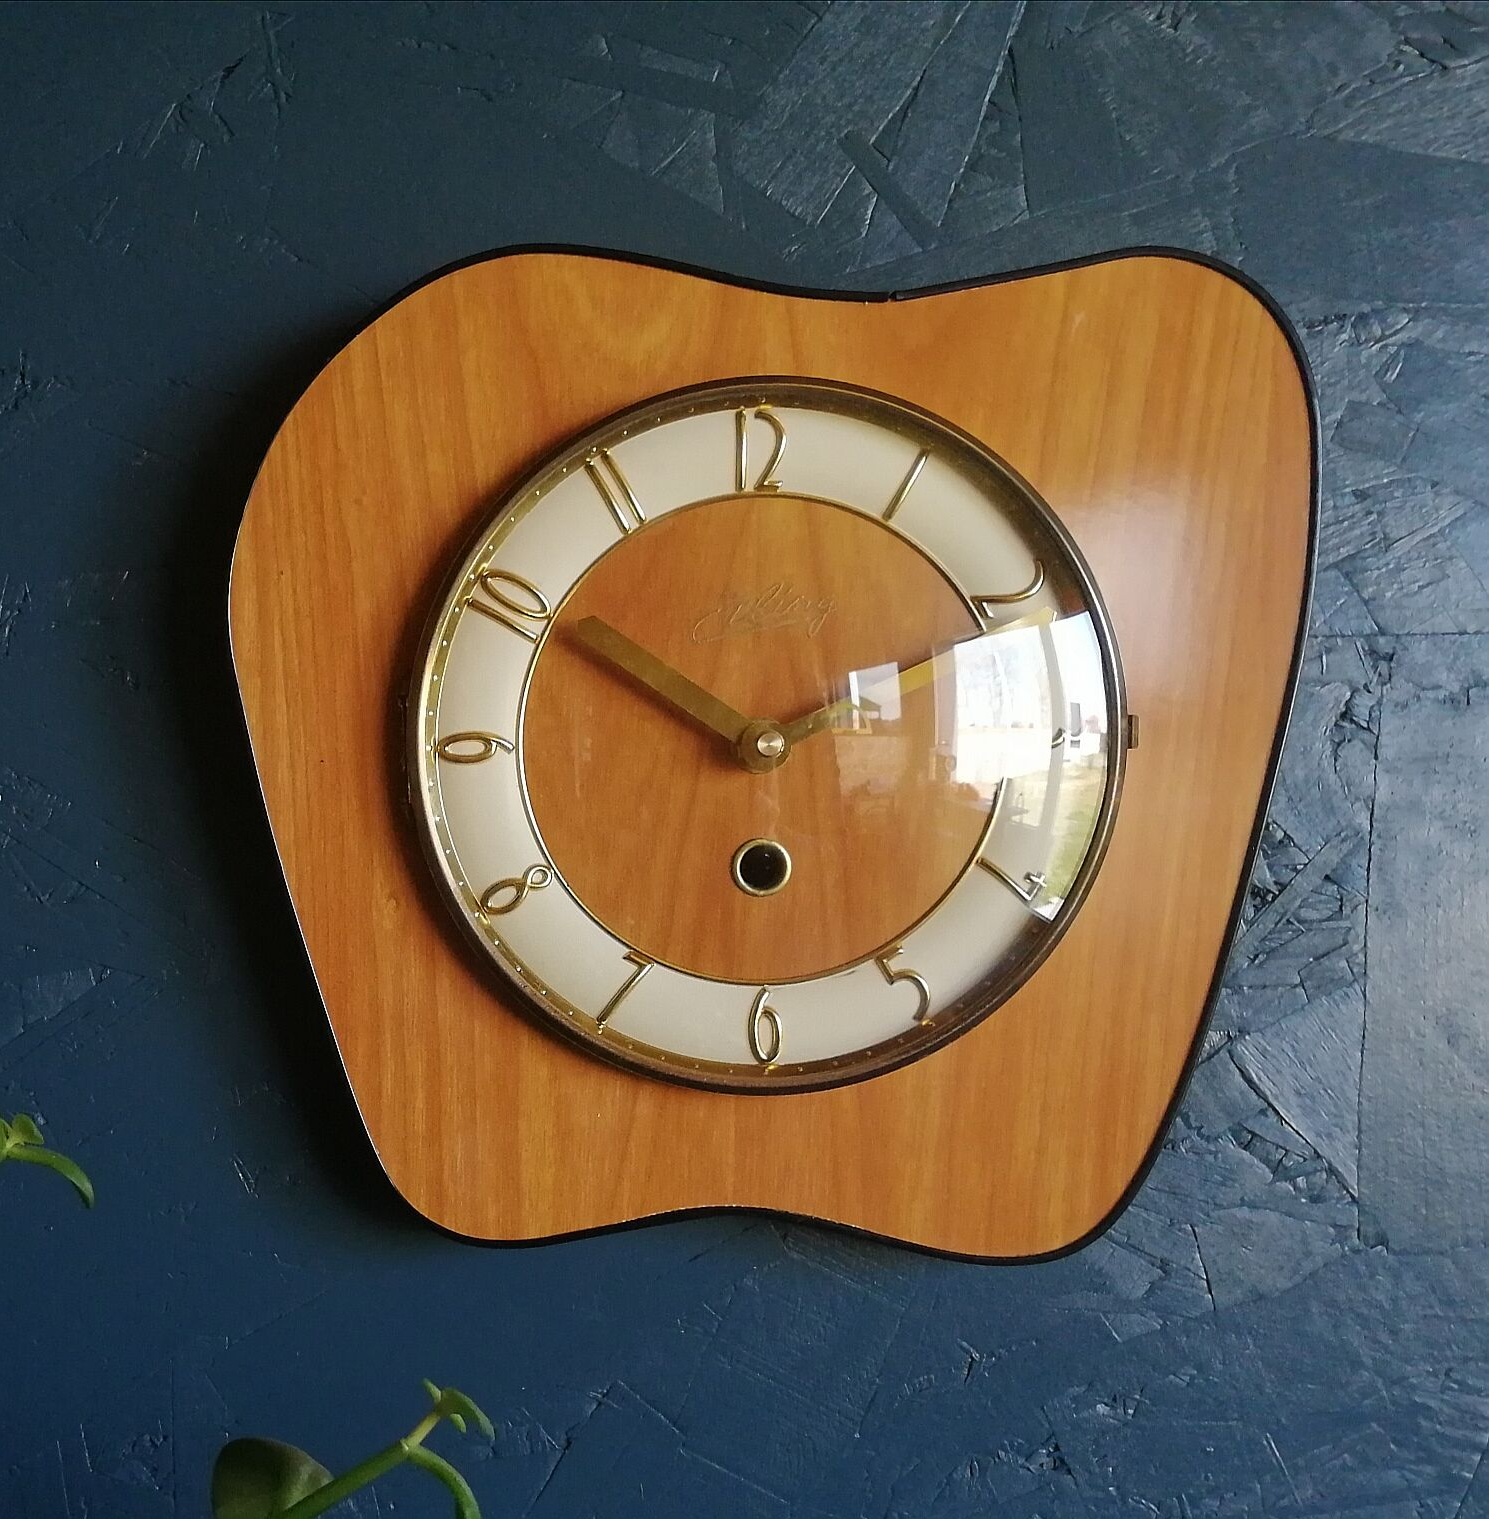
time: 1:50
